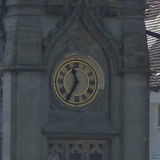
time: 11:35
